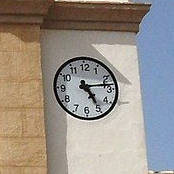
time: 5:13
